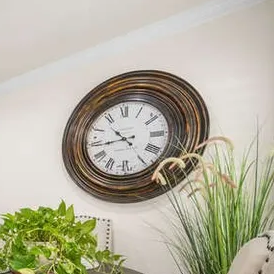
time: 10:43
